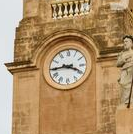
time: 3:44
